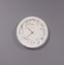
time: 10:38
